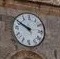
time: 9:50
